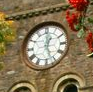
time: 1:01
